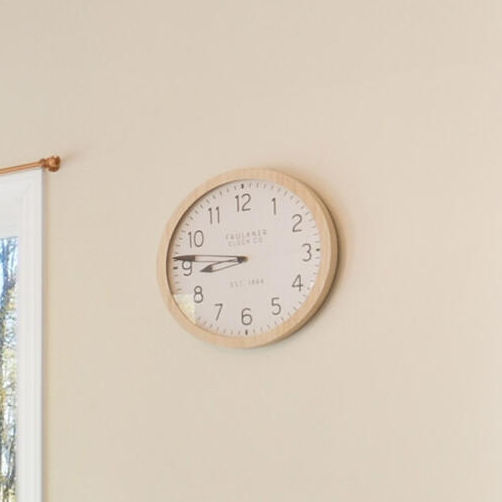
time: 8:46
